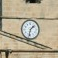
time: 1:32
